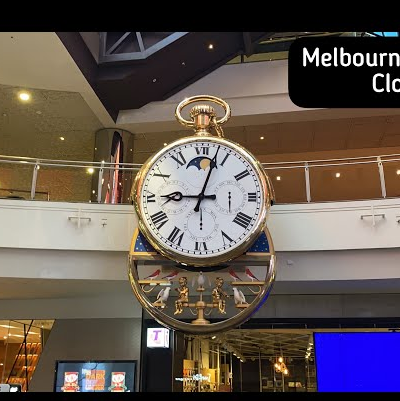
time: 9:02
